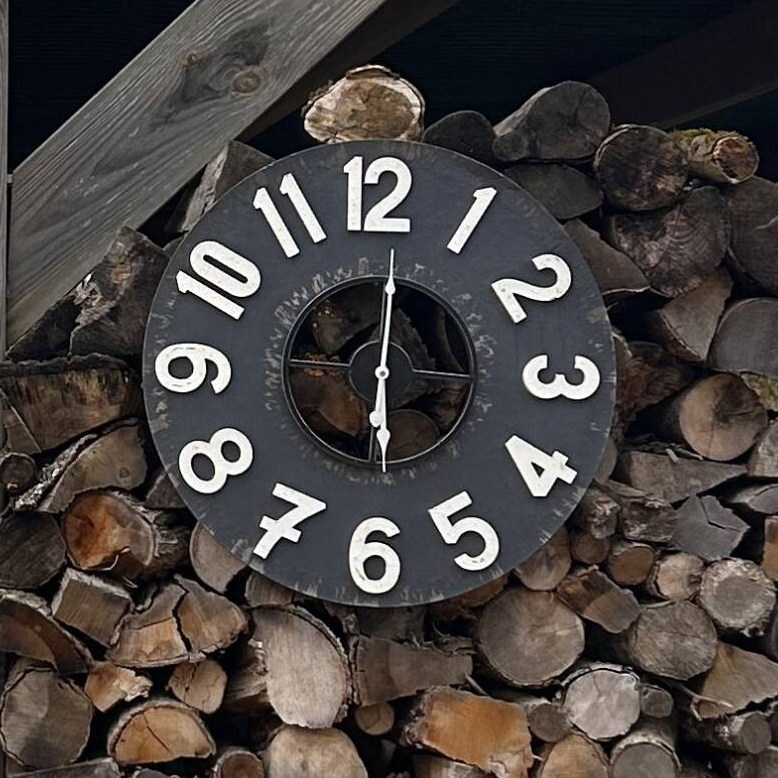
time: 6:01
